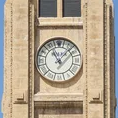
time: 11:07
